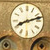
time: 8:12
